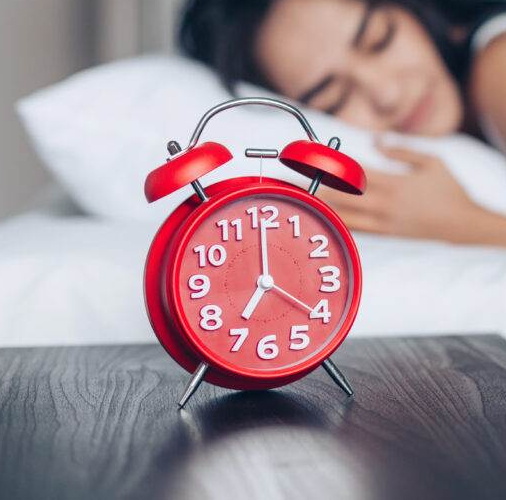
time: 7:00
